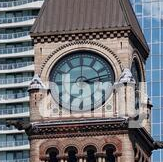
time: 3:12
